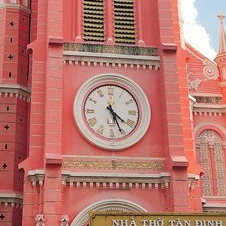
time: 4:26
